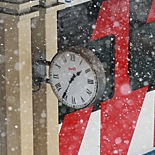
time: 1:35
